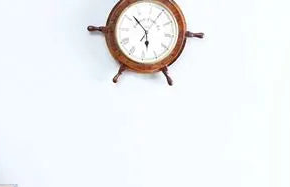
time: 5:51
